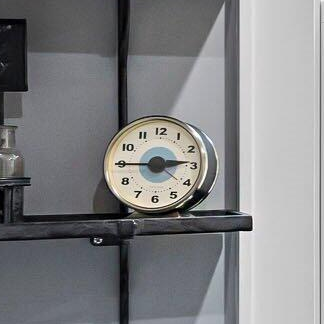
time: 2:45
